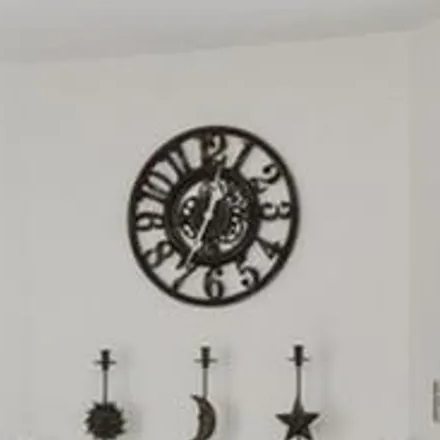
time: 12:34
